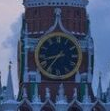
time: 8:36
